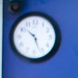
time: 10:26
